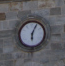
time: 6:04
